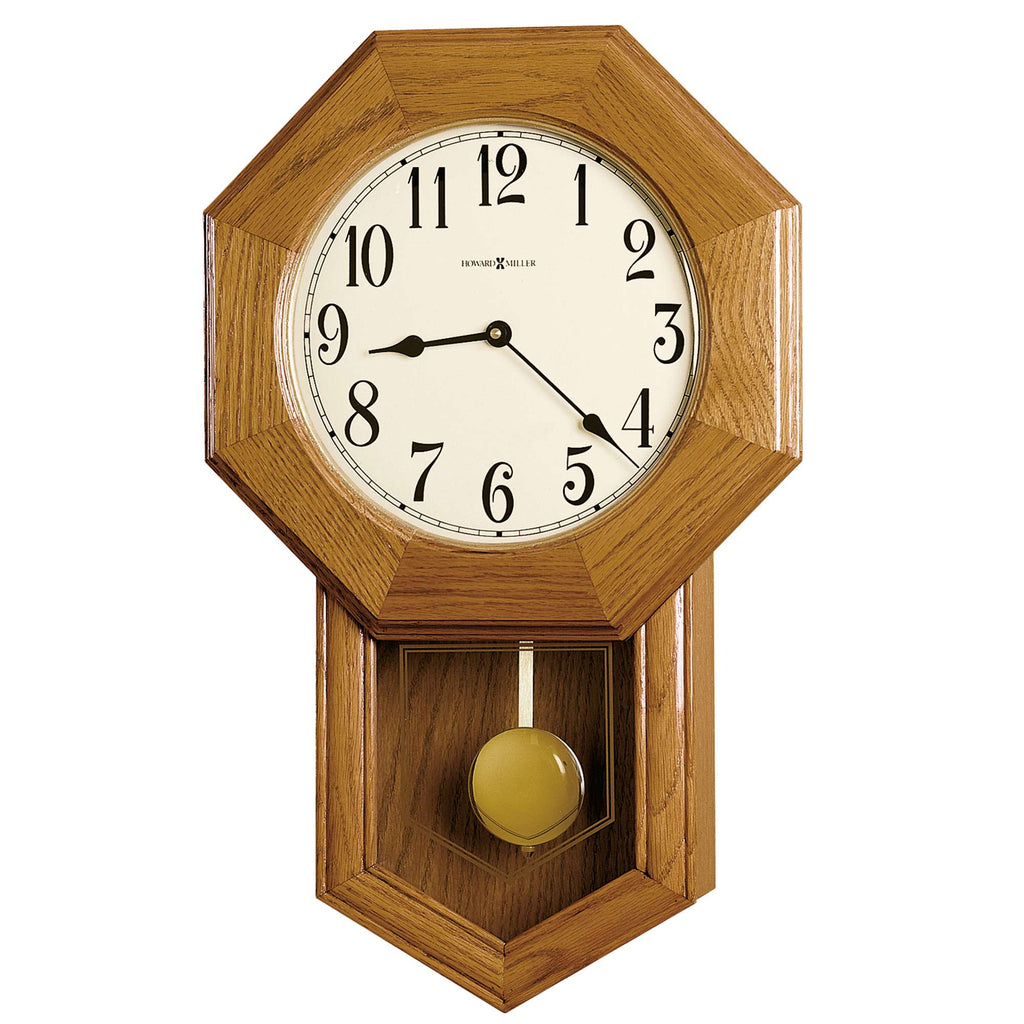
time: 8:21
